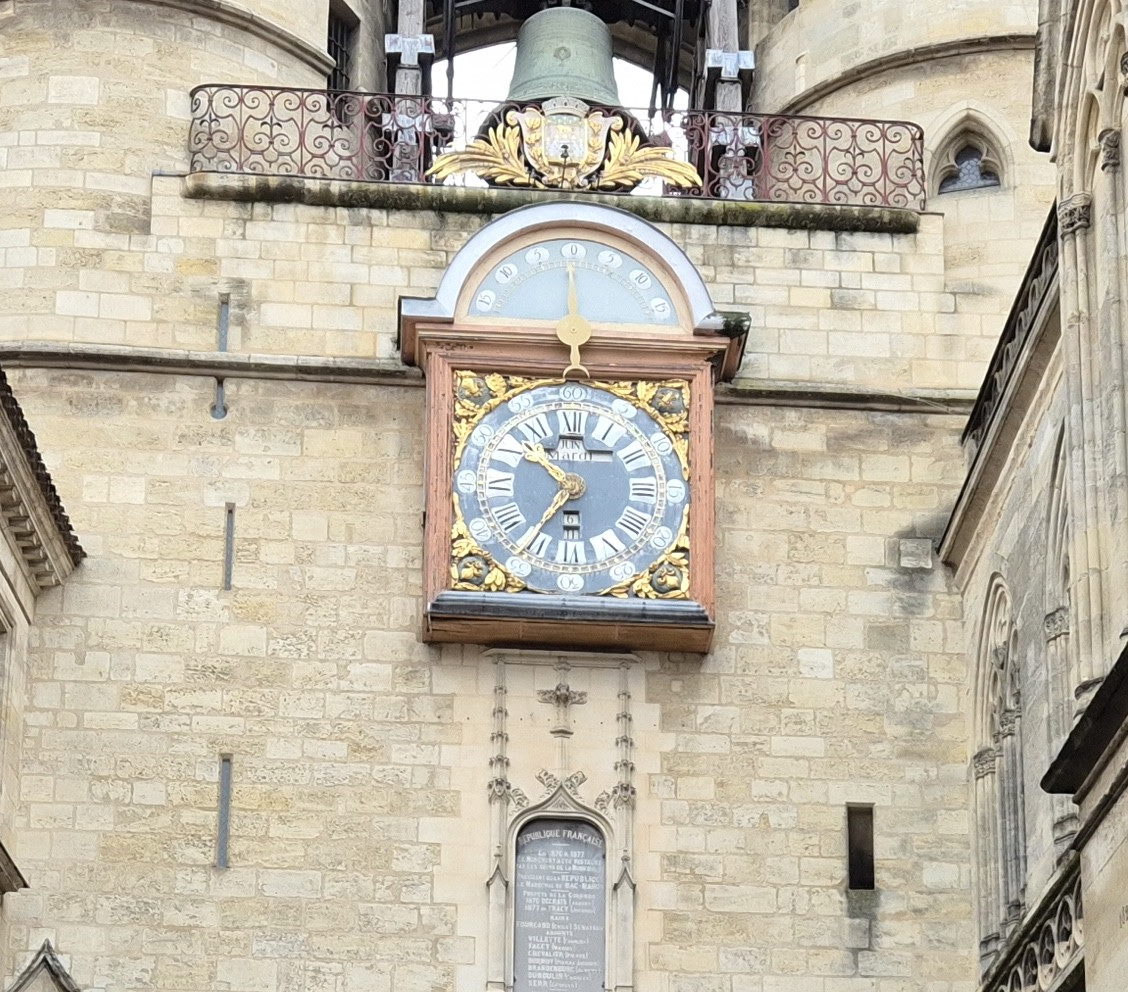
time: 10:36
